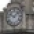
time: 10:07
